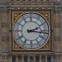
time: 2:16
